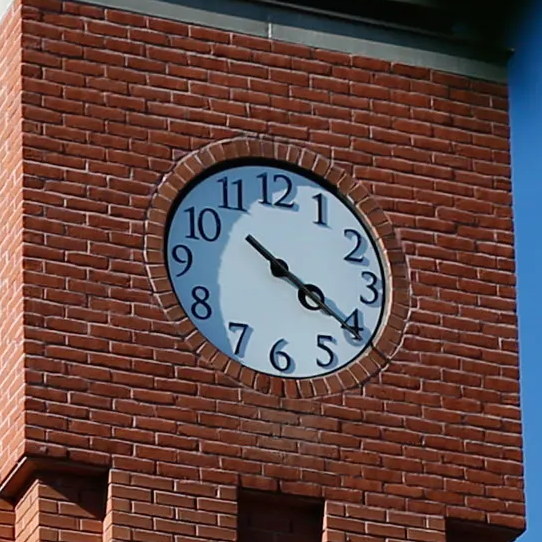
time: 4:21
